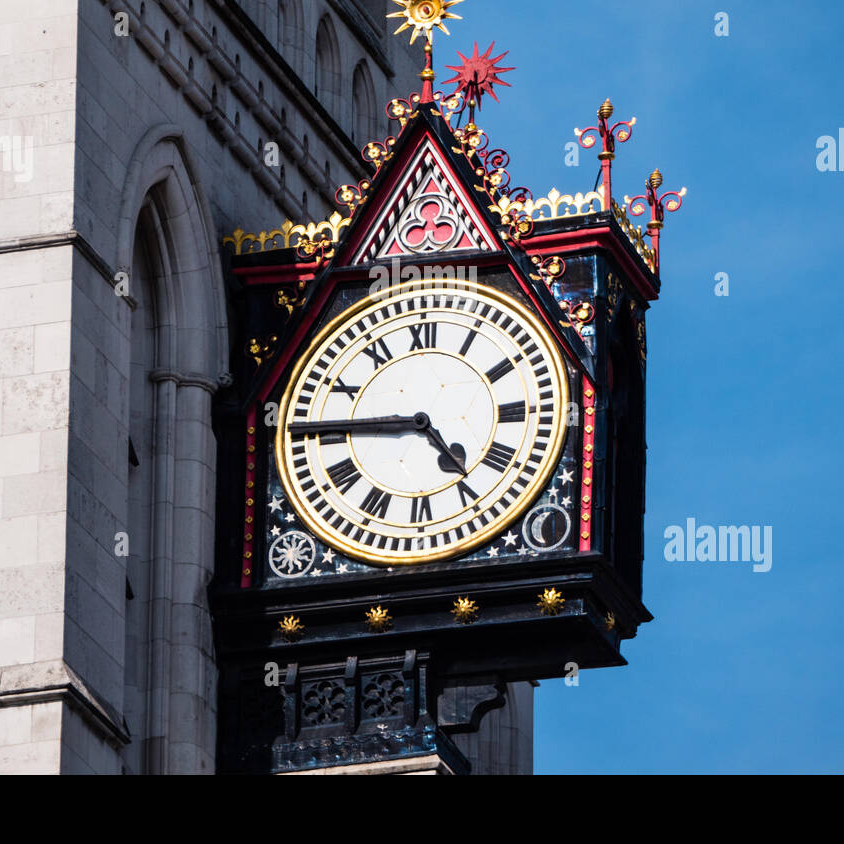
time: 4:45
